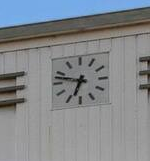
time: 6:47
